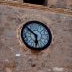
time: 5:51
